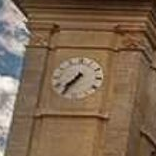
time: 7:36
